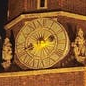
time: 2:40
